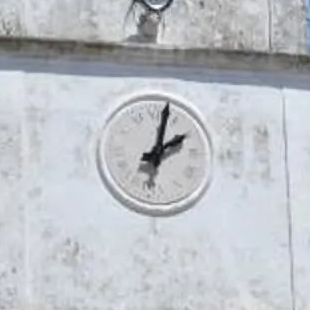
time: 2:02
